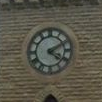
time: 4:10
